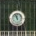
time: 11:56
